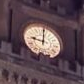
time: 9:01
